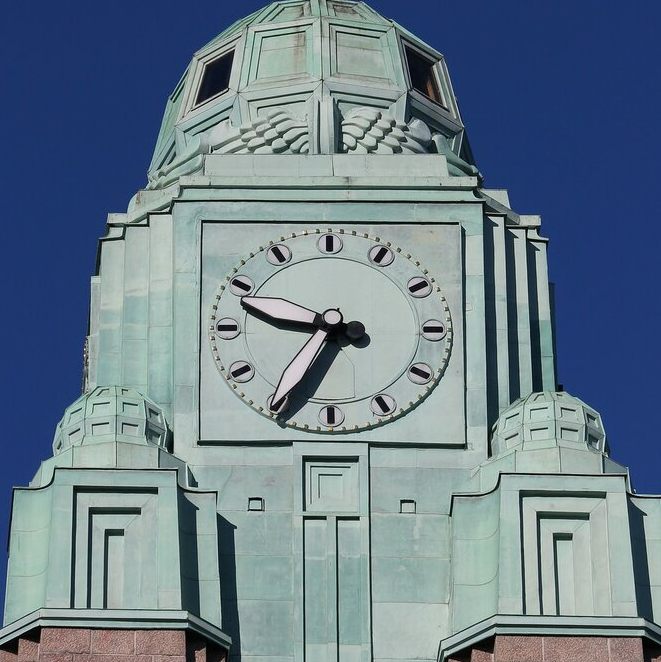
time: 9:34
